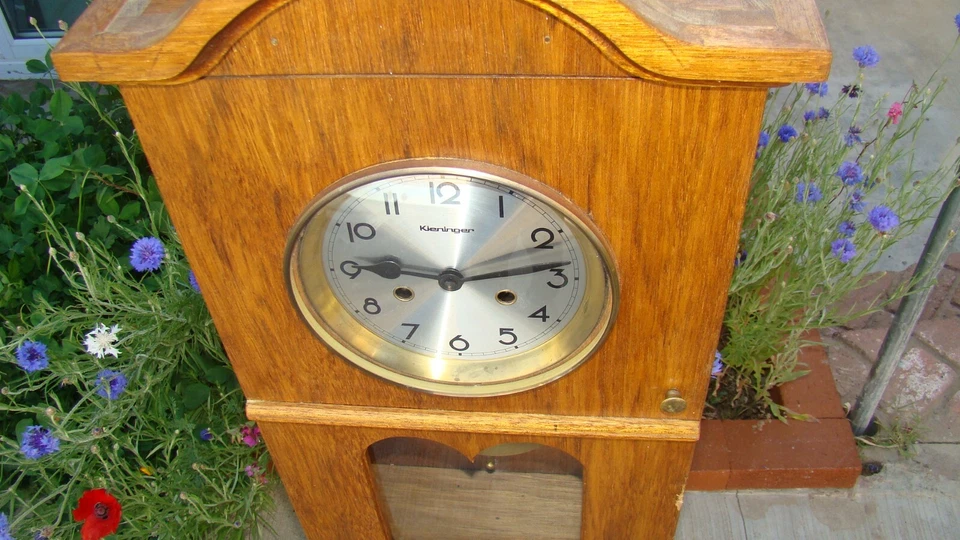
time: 9:12
